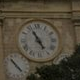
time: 4:55
